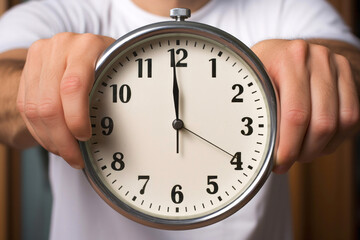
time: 11:59
